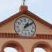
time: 1:09
